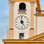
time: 4:59
